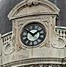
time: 1:51
